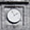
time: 1:56
